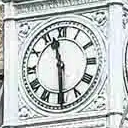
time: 11:29
